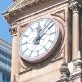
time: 12:07
